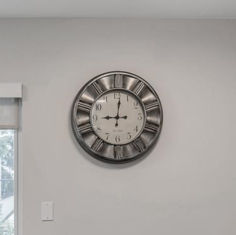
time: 9:01
